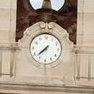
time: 7:37
